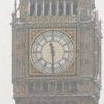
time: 11:29
